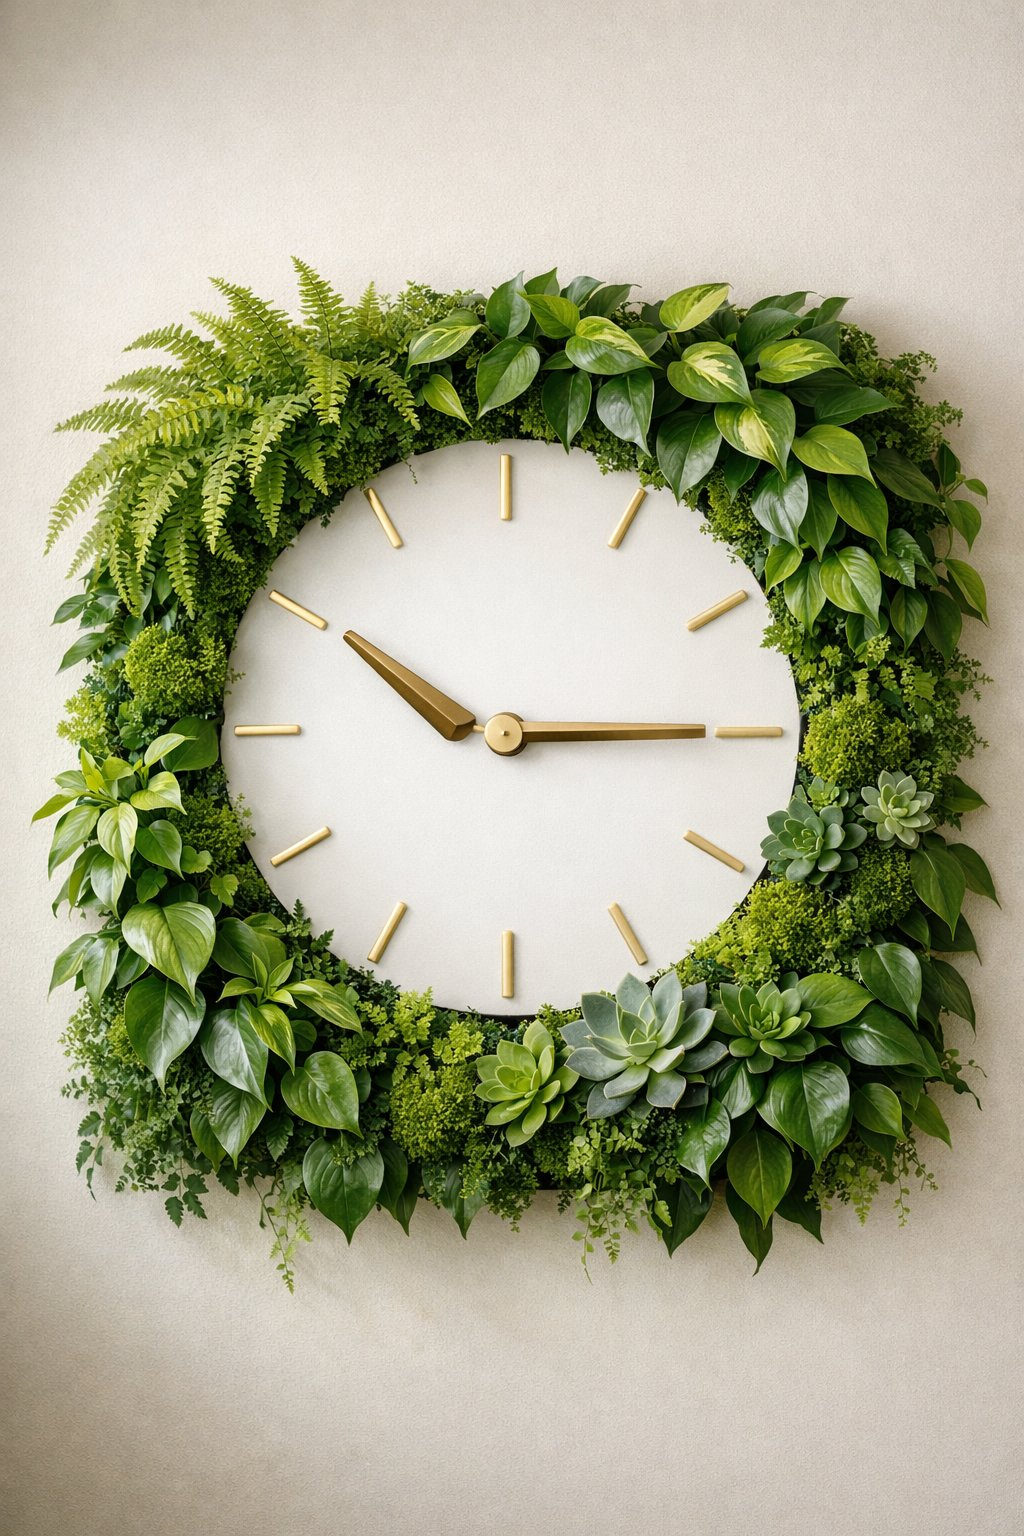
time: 10:14
